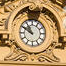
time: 10:50
